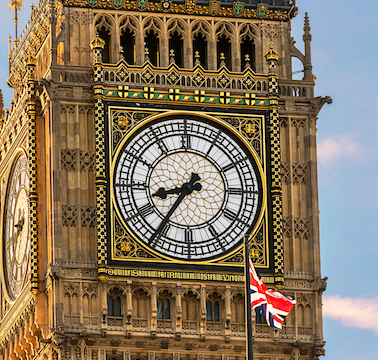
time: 8:35
